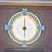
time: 5:59
